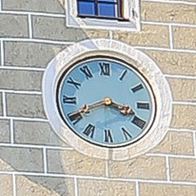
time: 3:40
